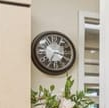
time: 3:34
